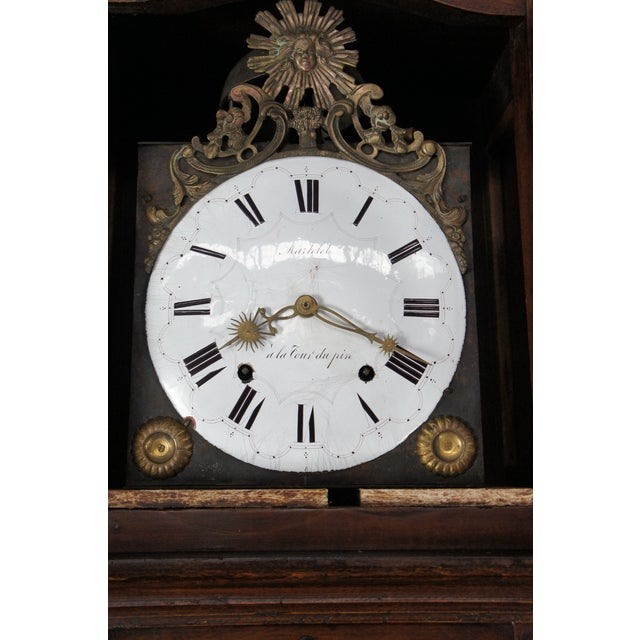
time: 8:19
